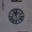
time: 11:55
